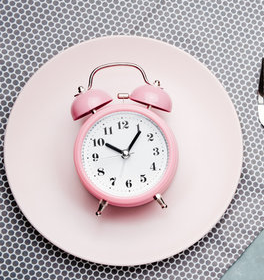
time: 10:06
